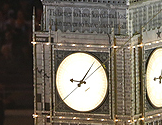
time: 9:06
